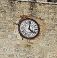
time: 4:01
